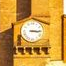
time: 3:15
